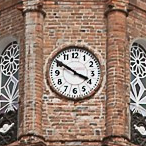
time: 3:50
